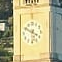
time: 3:50
